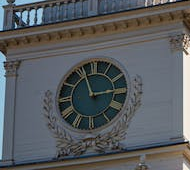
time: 2:56
